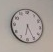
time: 6:25
